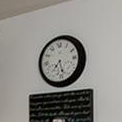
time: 7:27
